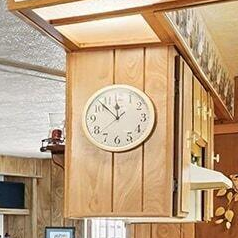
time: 11:52
